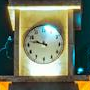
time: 9:47
